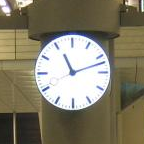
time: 11:11
